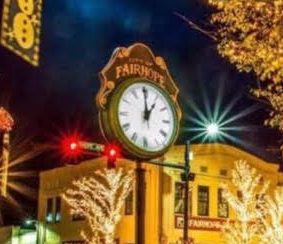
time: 1:00
